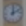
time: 12:11
